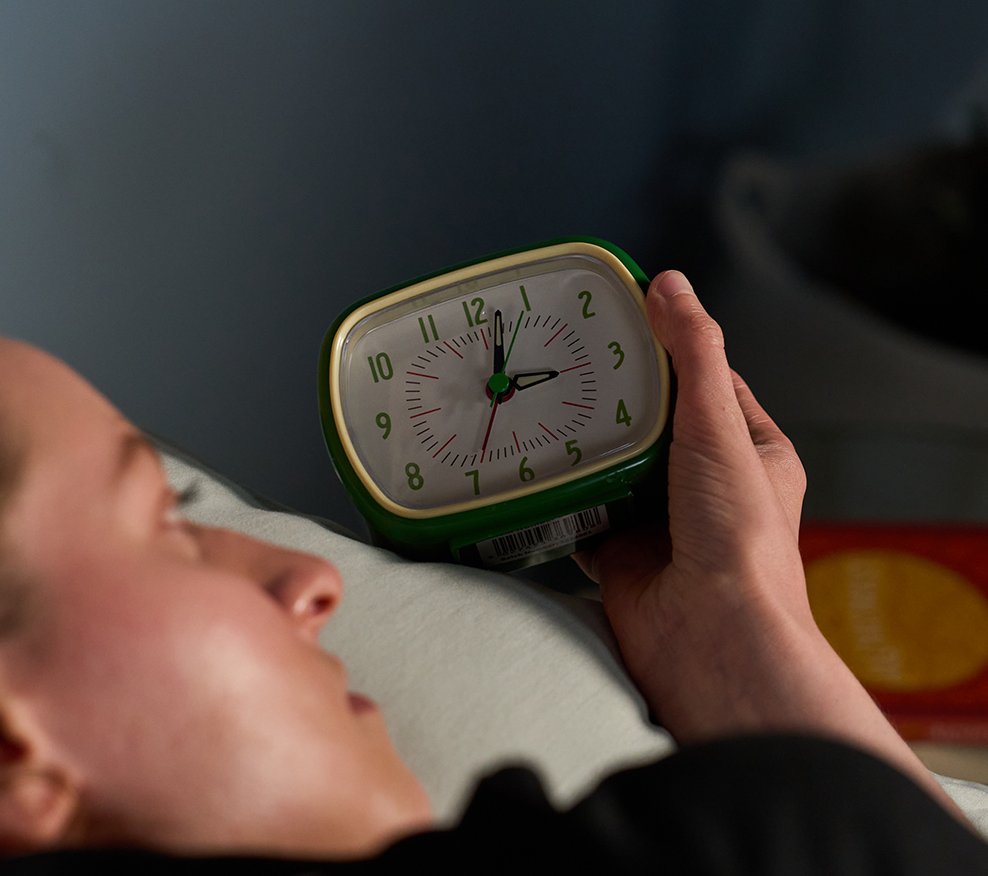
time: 3:02
